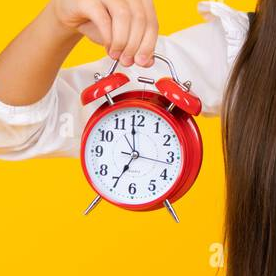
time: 6:58
